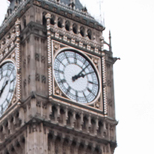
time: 2:06
